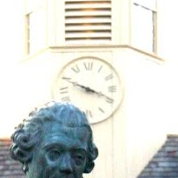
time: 3:48
